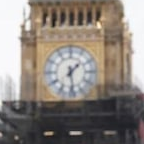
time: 1:28
